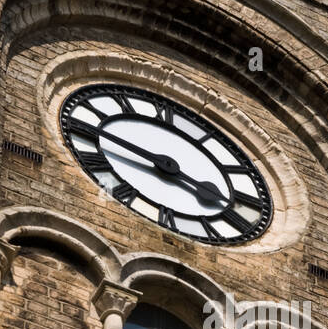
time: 3:47
